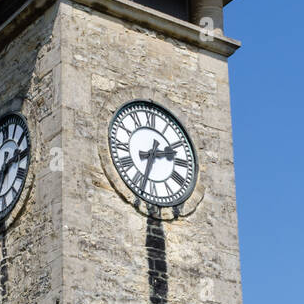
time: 2:33
